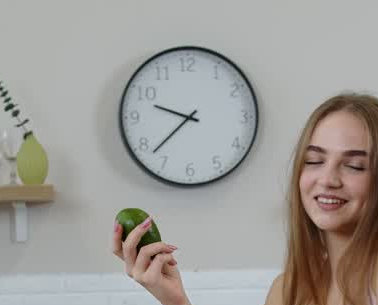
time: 9:37
